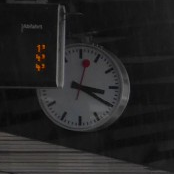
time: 3:20
